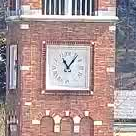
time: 11:06
